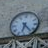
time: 6:23
